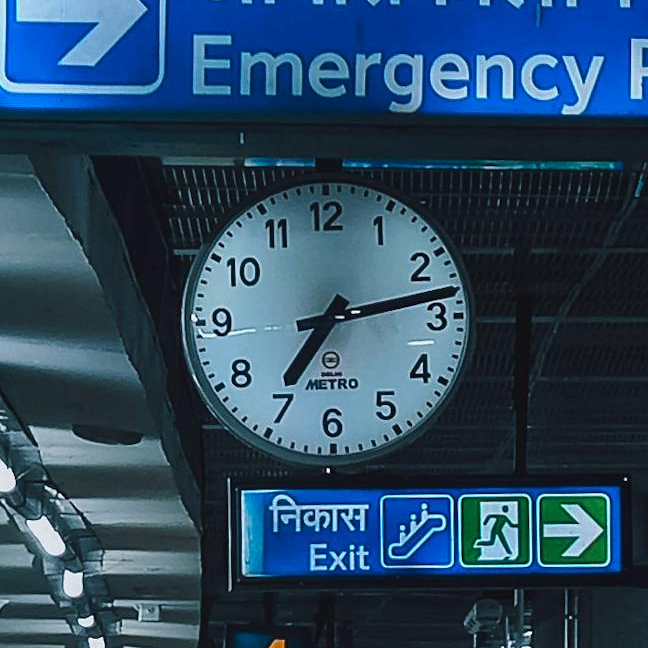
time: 7:13
